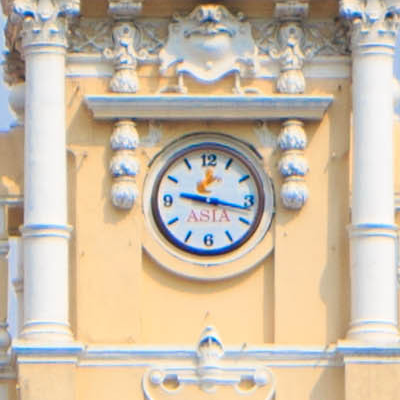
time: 9:17
